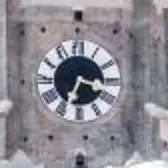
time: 3:34
